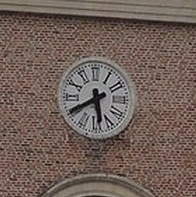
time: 5:40
